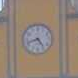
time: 4:42
